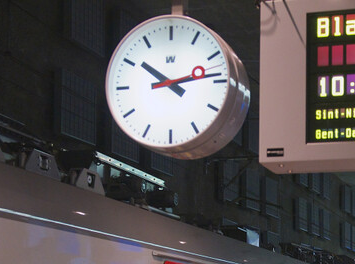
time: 10:13
